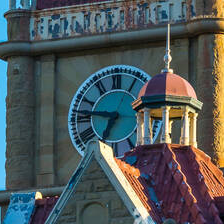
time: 6:46
